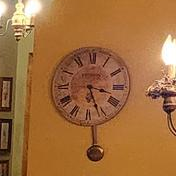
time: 5:17
